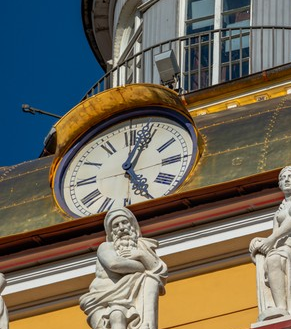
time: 5:03
